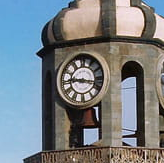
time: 9:17
